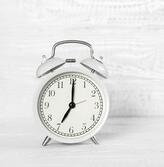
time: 7:00
